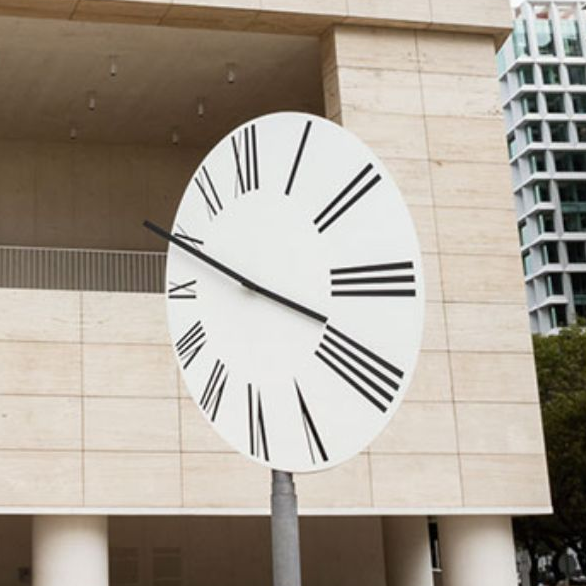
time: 3:49
